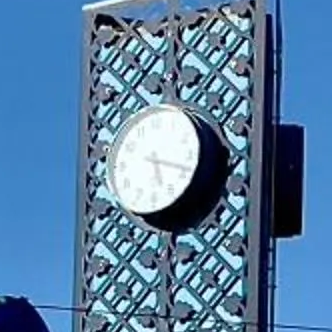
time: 5:18
